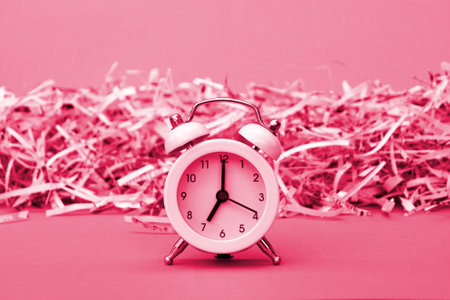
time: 7:00
